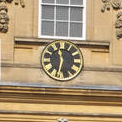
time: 11:32
